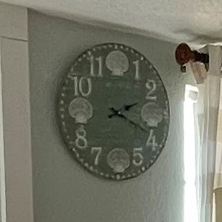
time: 2:18
